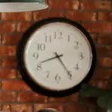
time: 8:24
